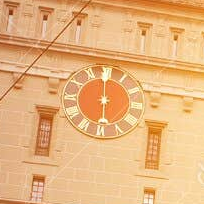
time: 5:59
